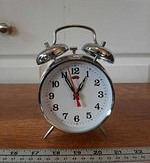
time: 12:55
